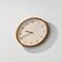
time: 9:41
